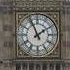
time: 1:56
